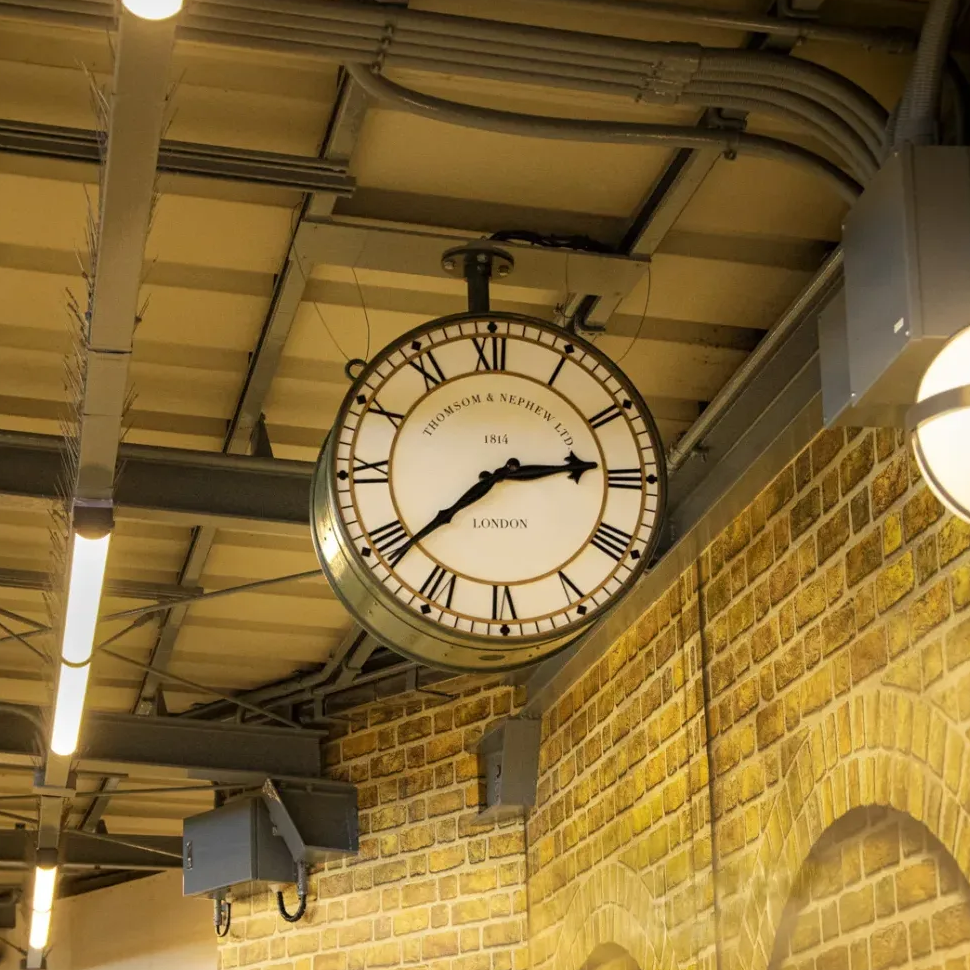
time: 2:38
